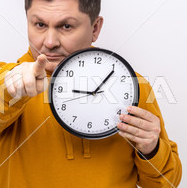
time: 9:06
